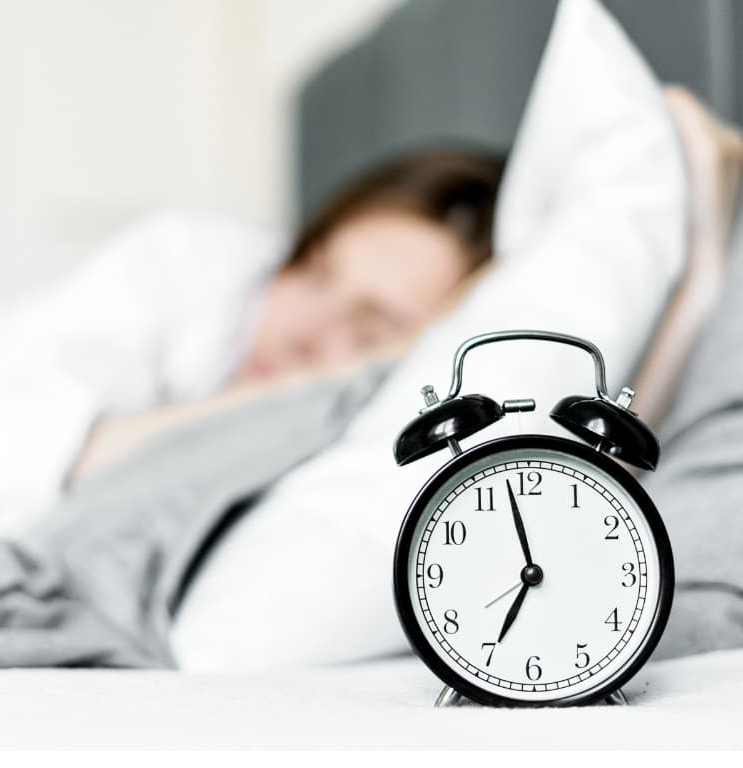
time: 6:58
